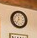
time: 11:35
